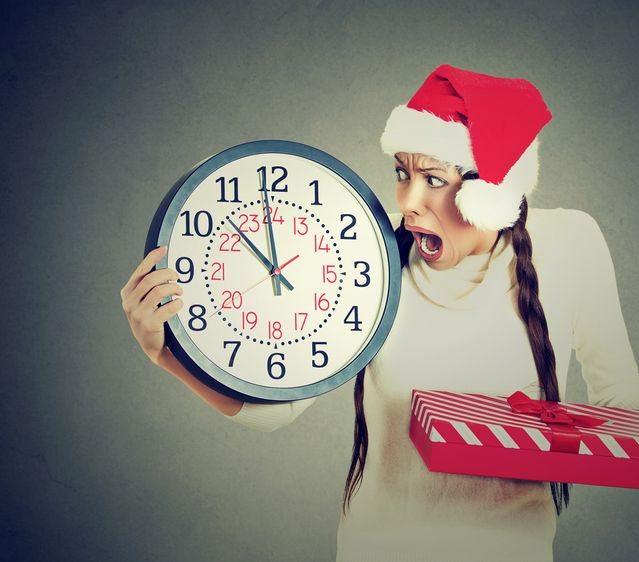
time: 11:52
